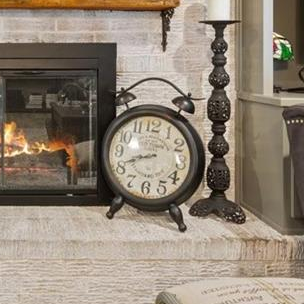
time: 8:41
